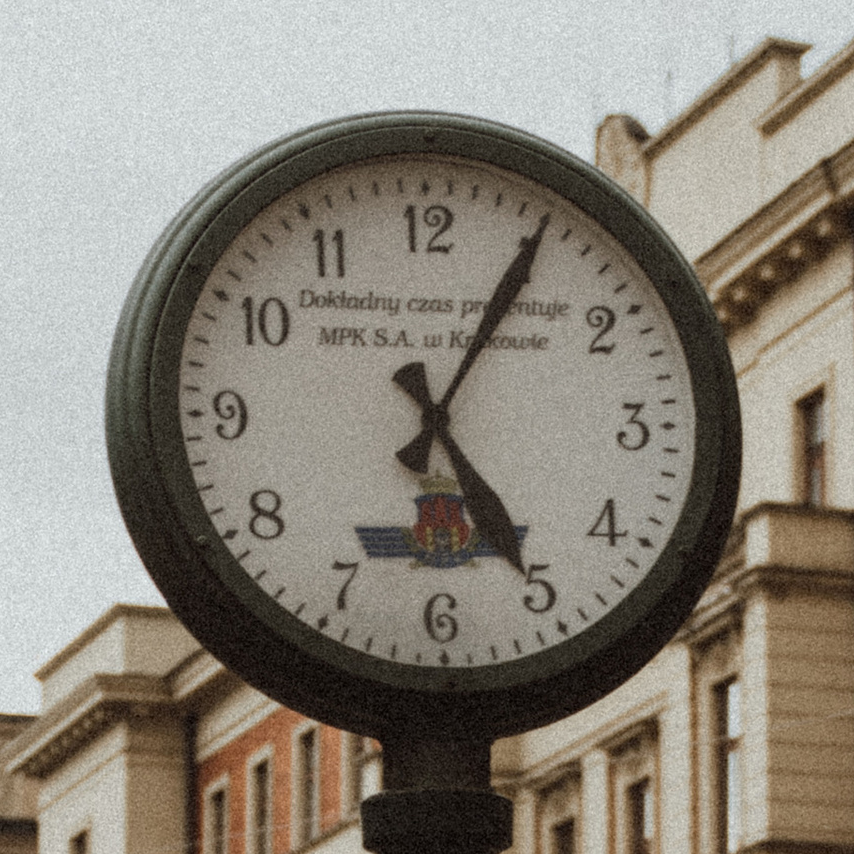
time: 5:05
